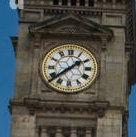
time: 1:38
